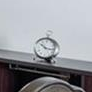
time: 10:17
